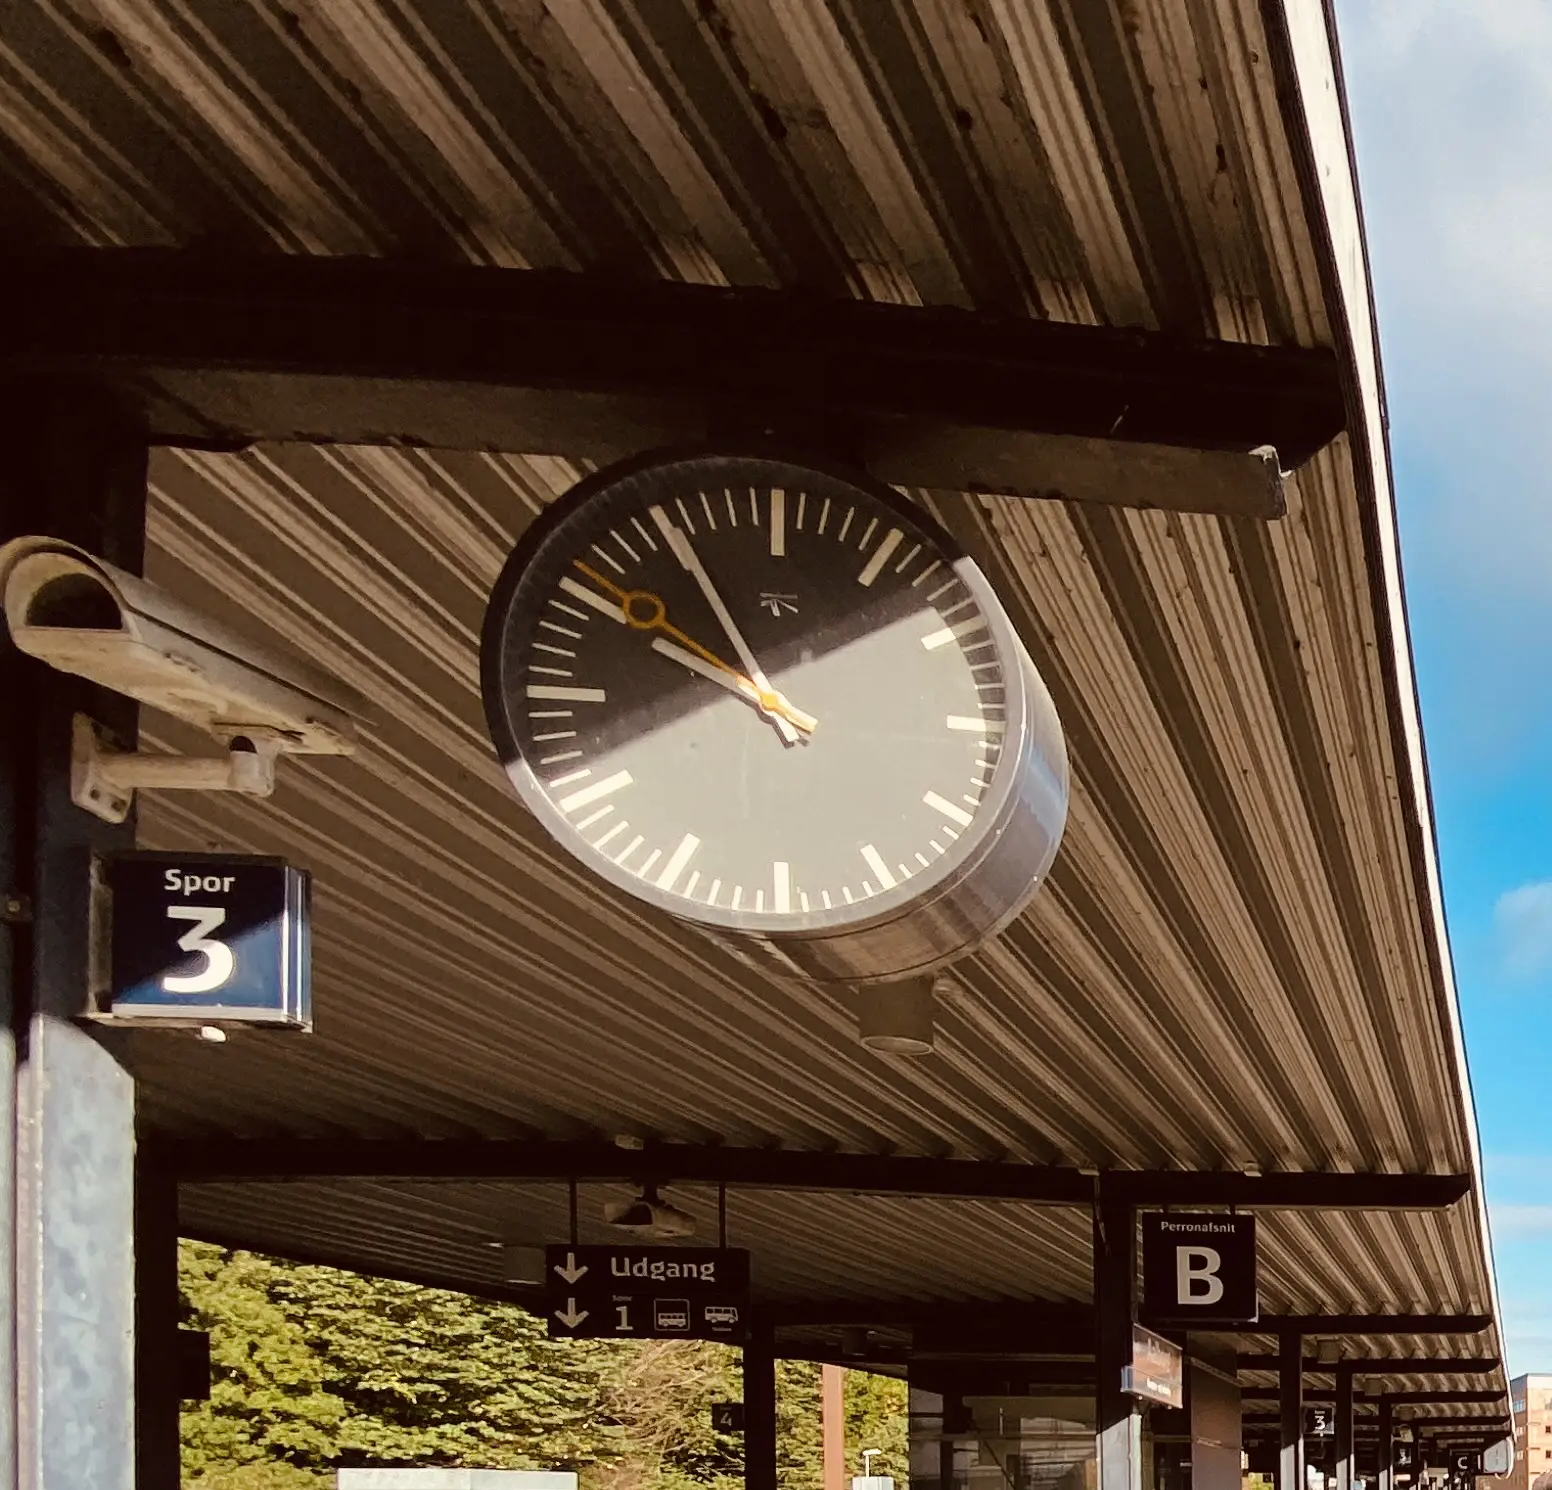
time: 9:55
